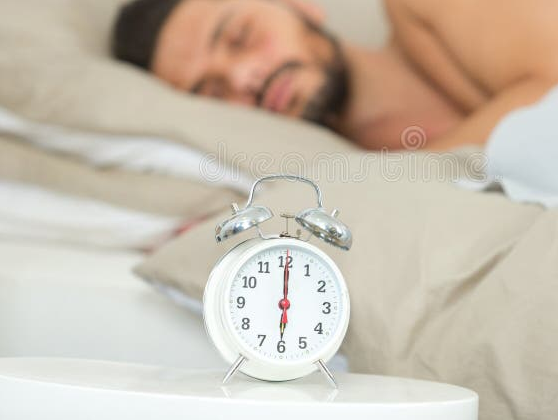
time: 6:00
